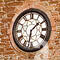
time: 1:32
